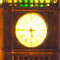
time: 5:45
